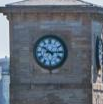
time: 10:14
